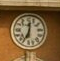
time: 12:34
